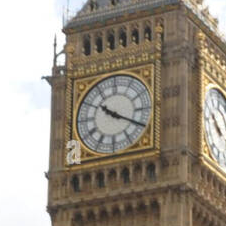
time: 10:19
